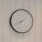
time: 7:40
